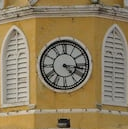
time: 4:16
